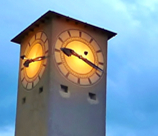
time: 9:17
